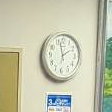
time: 1:57
